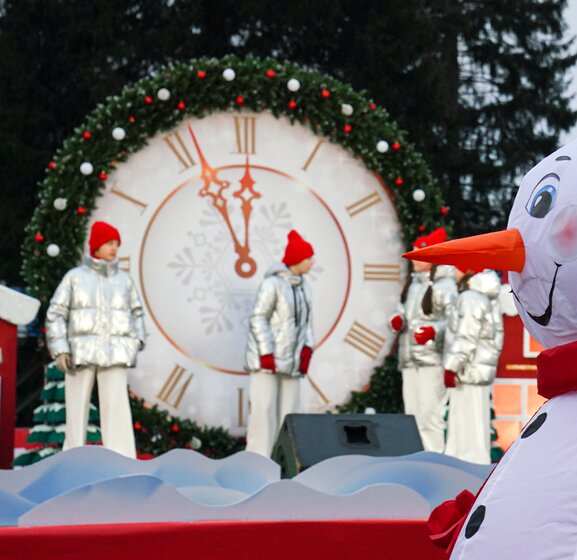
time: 11:55
